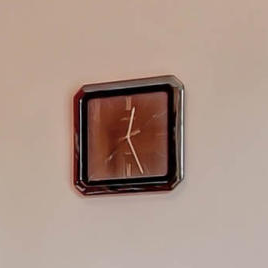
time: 12:26
